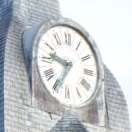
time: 9:34
